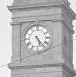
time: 5:23
